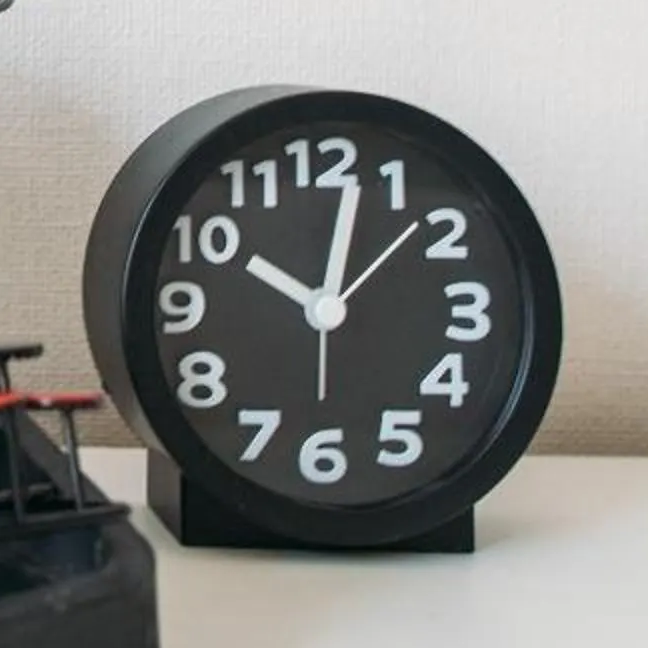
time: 10:02
